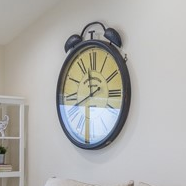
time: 11:41
